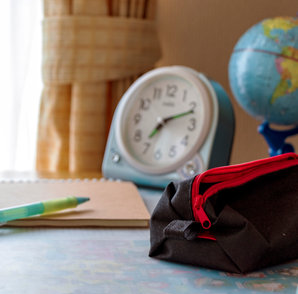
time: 7:11
